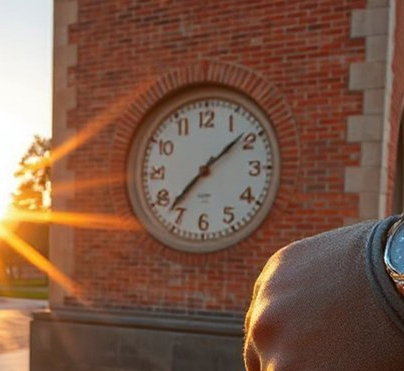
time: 1:37
